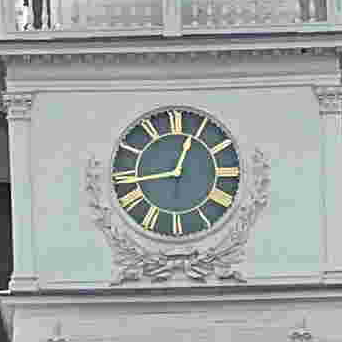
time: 12:43
